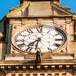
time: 7:32
